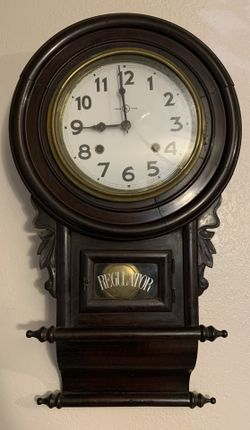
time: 8:59
